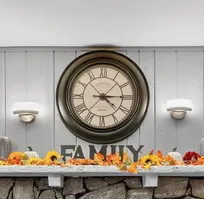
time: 4:14
